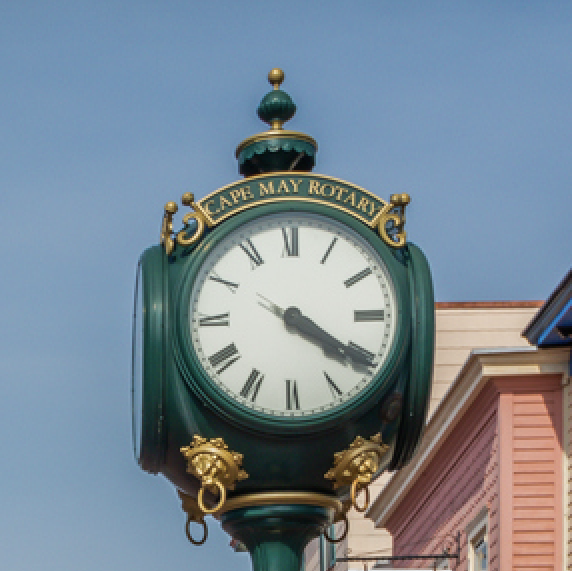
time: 4:20
